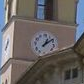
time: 1:09
